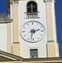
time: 2:32
